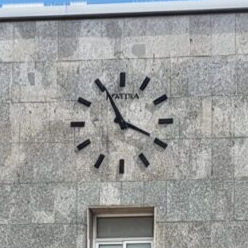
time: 3:55
